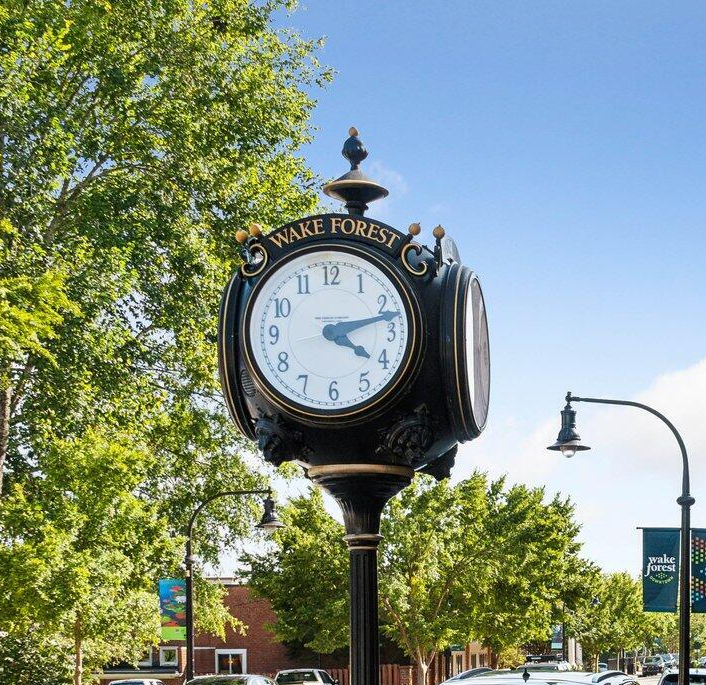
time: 4:12
